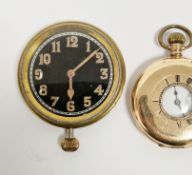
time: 6:07
